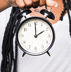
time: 1:59
